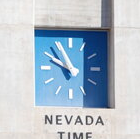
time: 9:55
